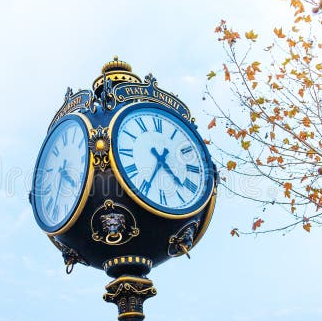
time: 4:34
